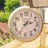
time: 2:36
